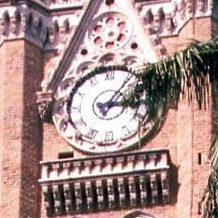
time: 3:06
